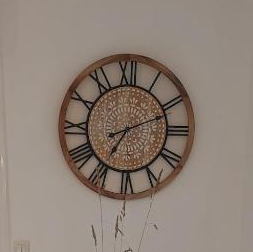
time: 7:11
